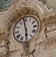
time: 5:58
